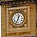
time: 12:34
